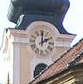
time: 2:00
